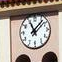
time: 11:07
